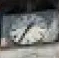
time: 1:35
